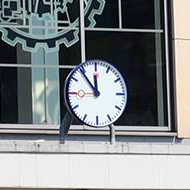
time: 11:53
